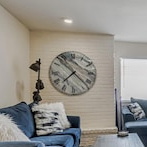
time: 7:22
